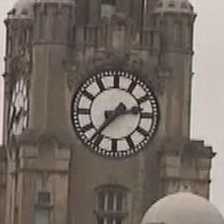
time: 2:36
